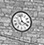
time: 3:57
